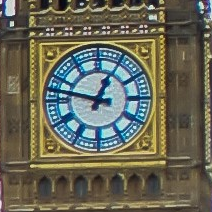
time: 12:47
